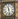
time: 11:28
